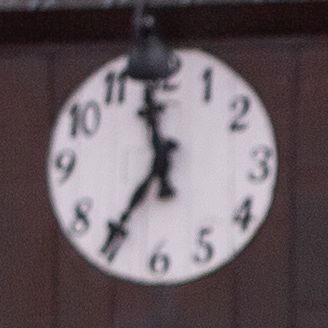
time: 11:35
